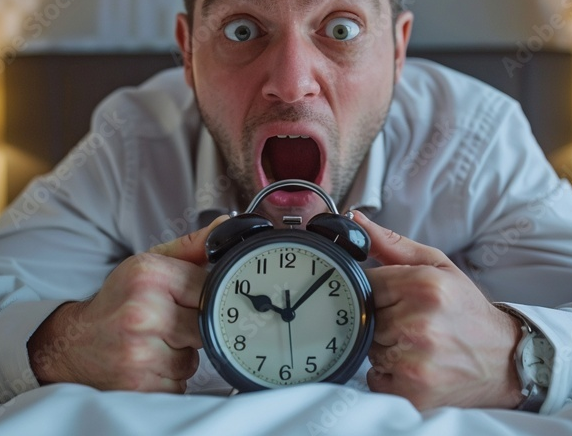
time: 10:07
